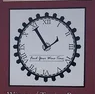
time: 1:54
